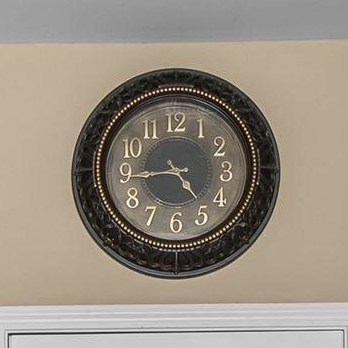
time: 4:44
